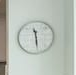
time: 11:28
